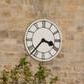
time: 3:37
